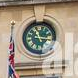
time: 11:14
